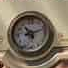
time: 11:12
